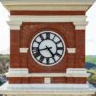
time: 4:42
